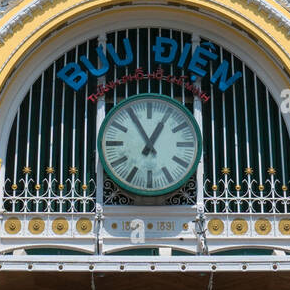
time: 12:55
